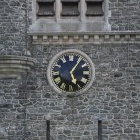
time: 5:06
